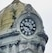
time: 9:22
